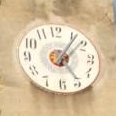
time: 5:06
